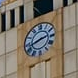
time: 2:42
